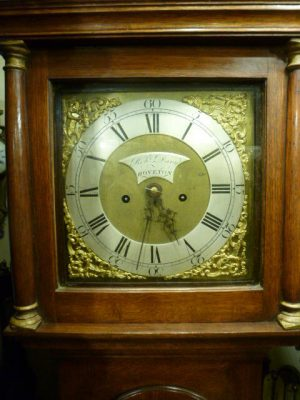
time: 10:32
